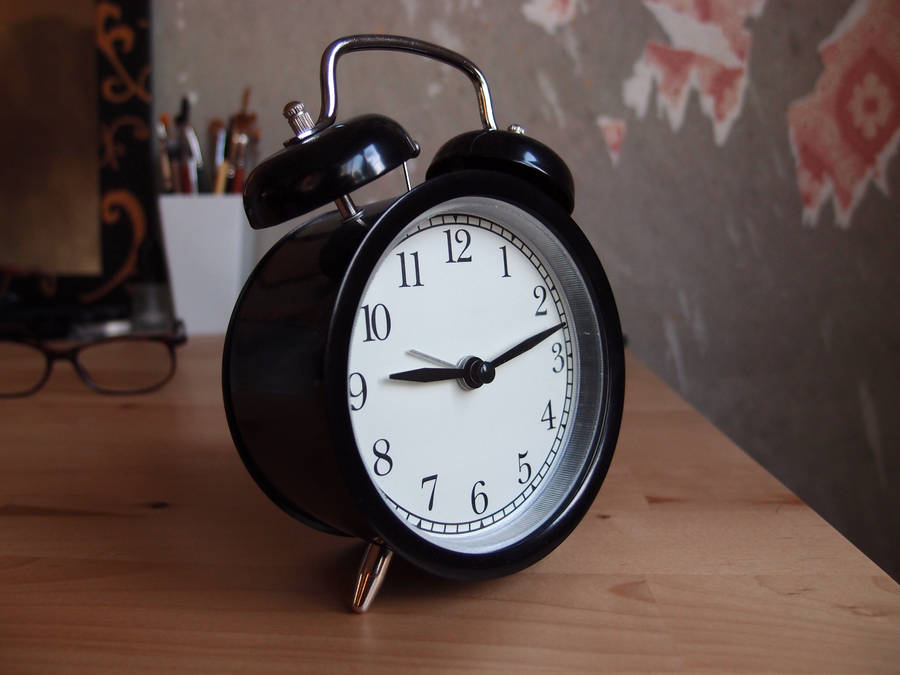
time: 9:12
